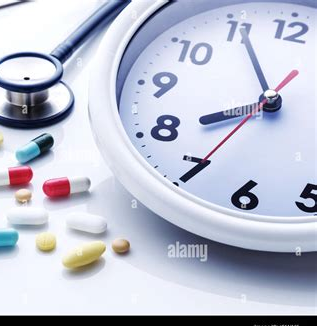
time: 7:55
